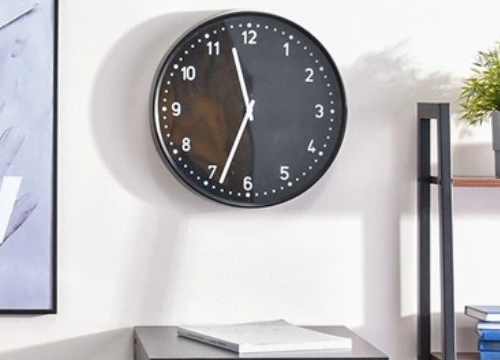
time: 11:33
